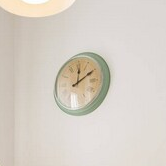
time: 12:09
